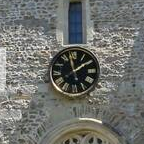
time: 1:58
